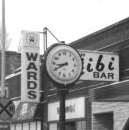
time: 8:40
